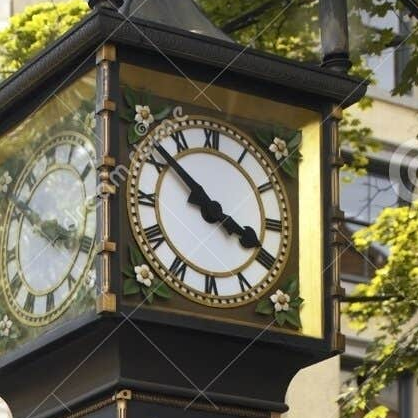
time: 3:51
